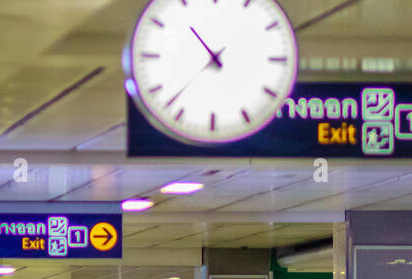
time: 10:37
